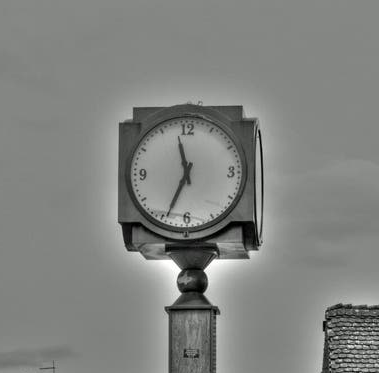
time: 11:34
